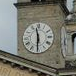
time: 11:30
